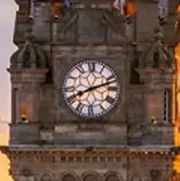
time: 8:11
